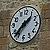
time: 1:36
